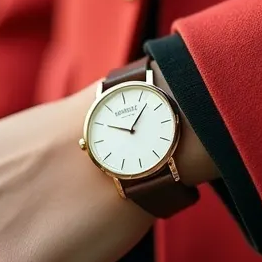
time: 10:07
